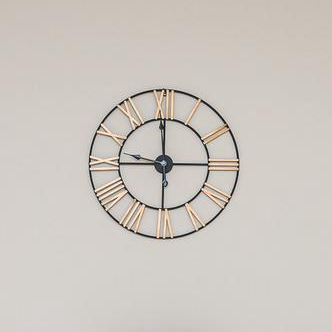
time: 9:00
